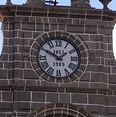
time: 1:49
